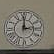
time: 3:00
